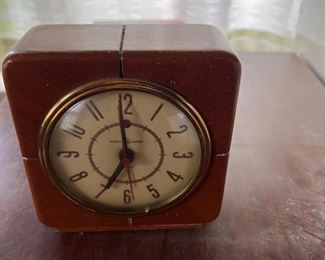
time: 6:59
